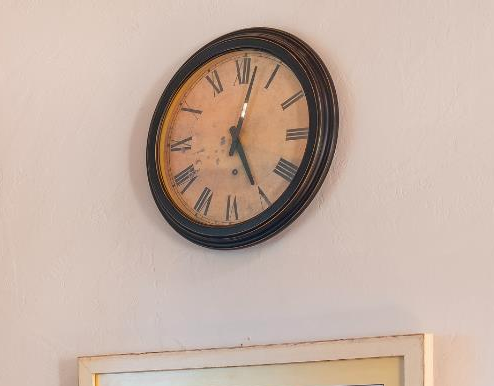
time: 5:01
